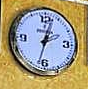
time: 12:32
